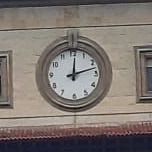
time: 12:12
